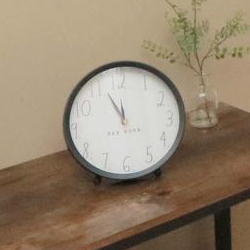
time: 11:56
